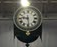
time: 9:28
